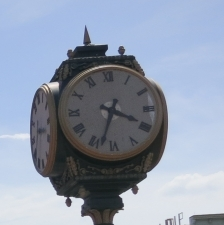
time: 3:33
